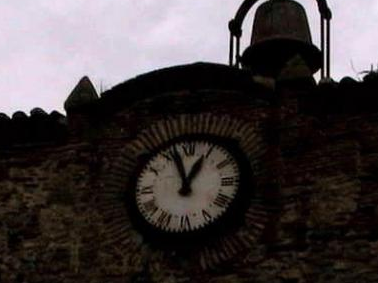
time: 12:57
